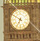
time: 6:50
